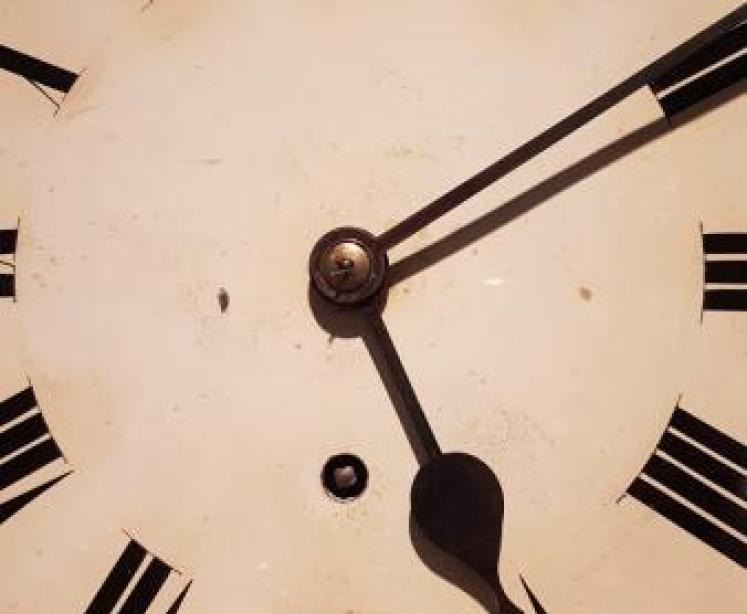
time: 5:09
